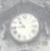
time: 10:43
